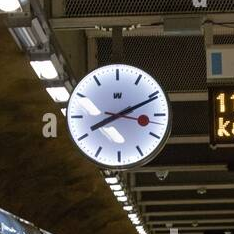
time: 8:11
